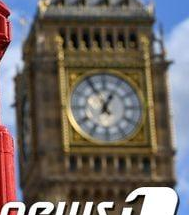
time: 12:55
